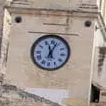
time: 11:03
